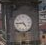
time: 4:44
